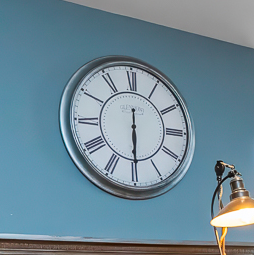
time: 5:29
